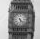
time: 5:22
